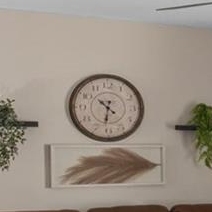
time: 10:31
